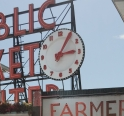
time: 3:05
